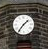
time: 1:36
